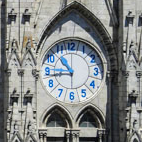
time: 10:43
